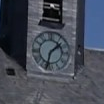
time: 1:32
